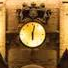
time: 6:02
